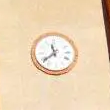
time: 11:38
